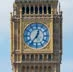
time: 12:36
